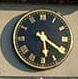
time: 5:20
